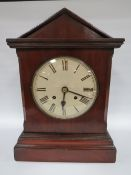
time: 6:18
